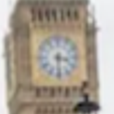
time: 3:30
